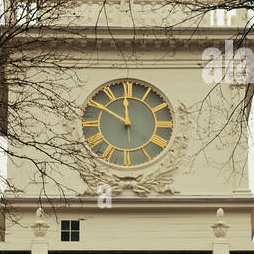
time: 11:50
